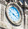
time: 3:48
